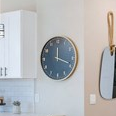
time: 12:18
